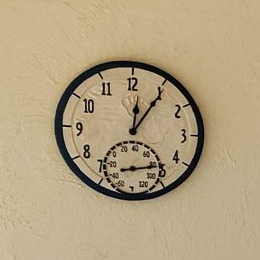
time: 12:05
